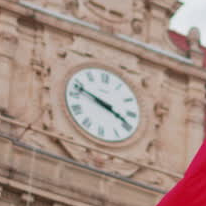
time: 3:48
